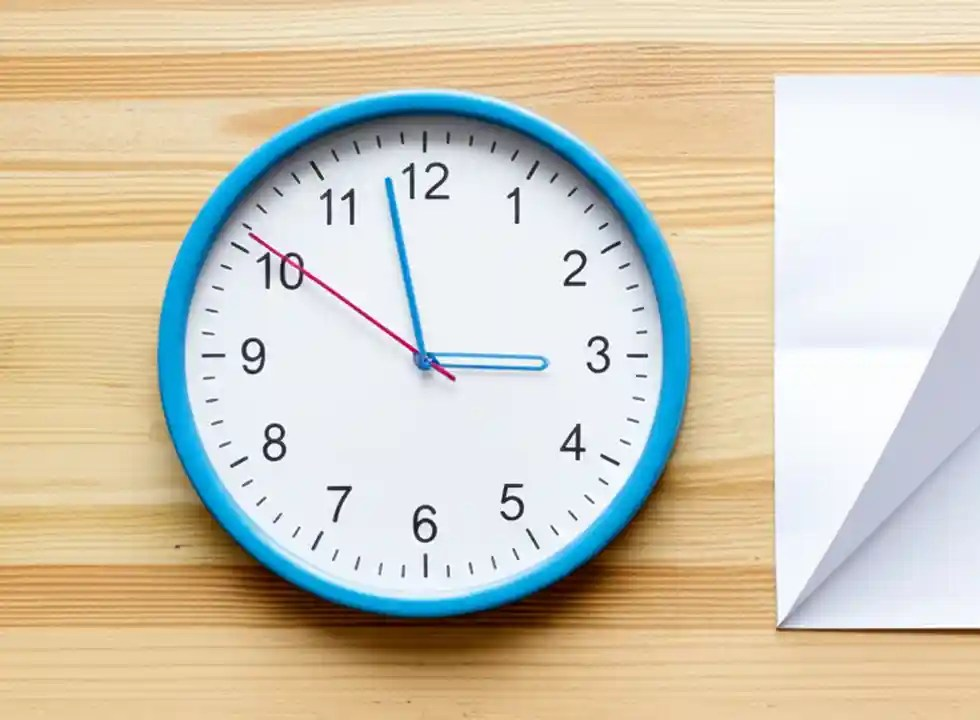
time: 2:57
